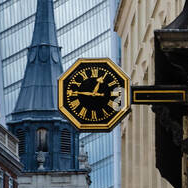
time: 12:45
